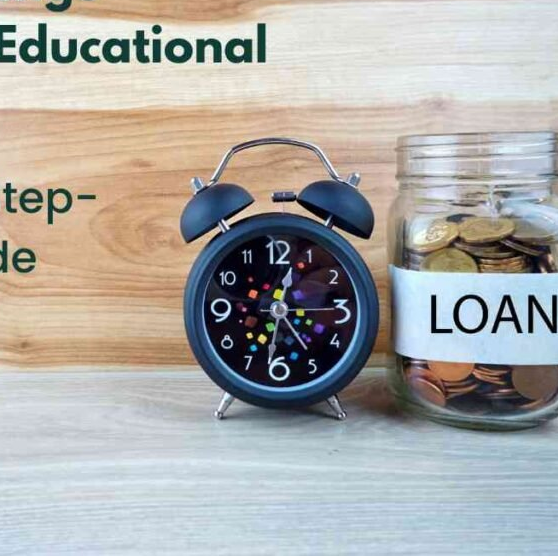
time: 12:32
